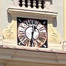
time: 12:30
